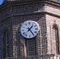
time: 1:24
